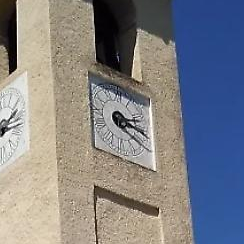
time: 2:18
